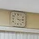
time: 4:14
